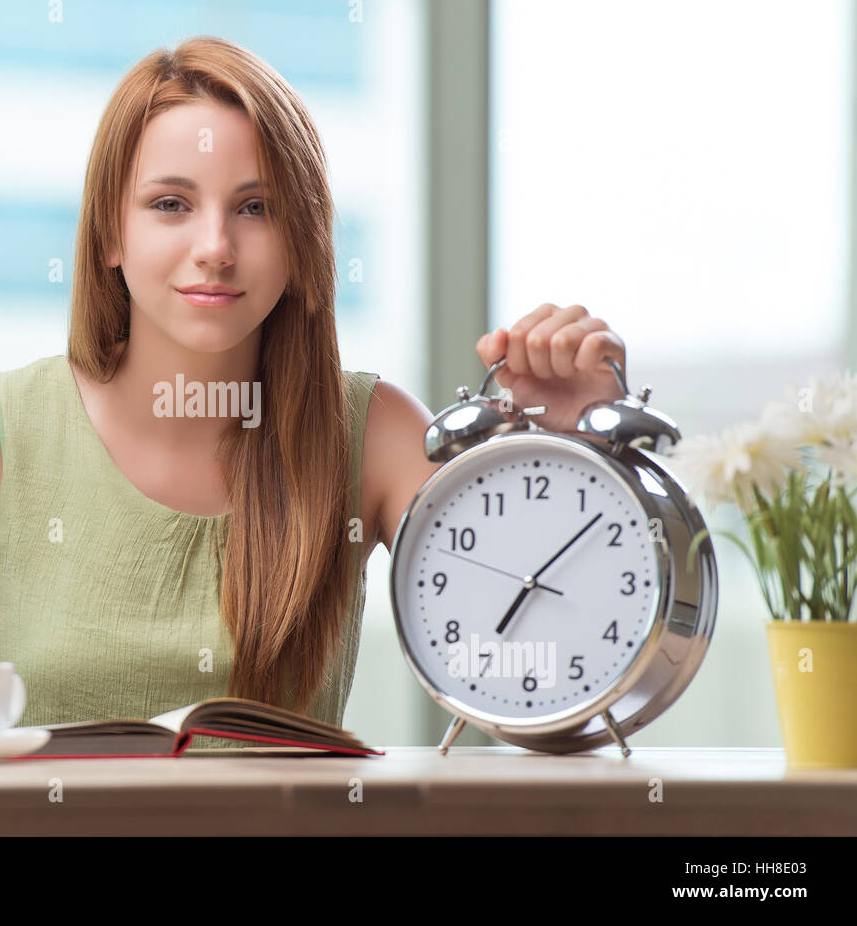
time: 7:07
